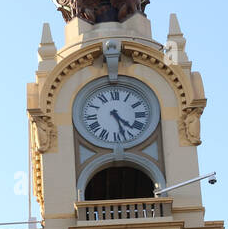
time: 4:27
